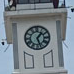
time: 1:26
